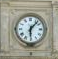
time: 6:07
